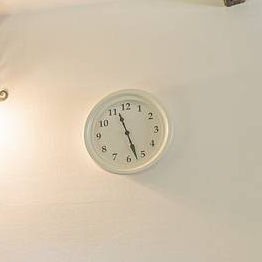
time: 11:27
